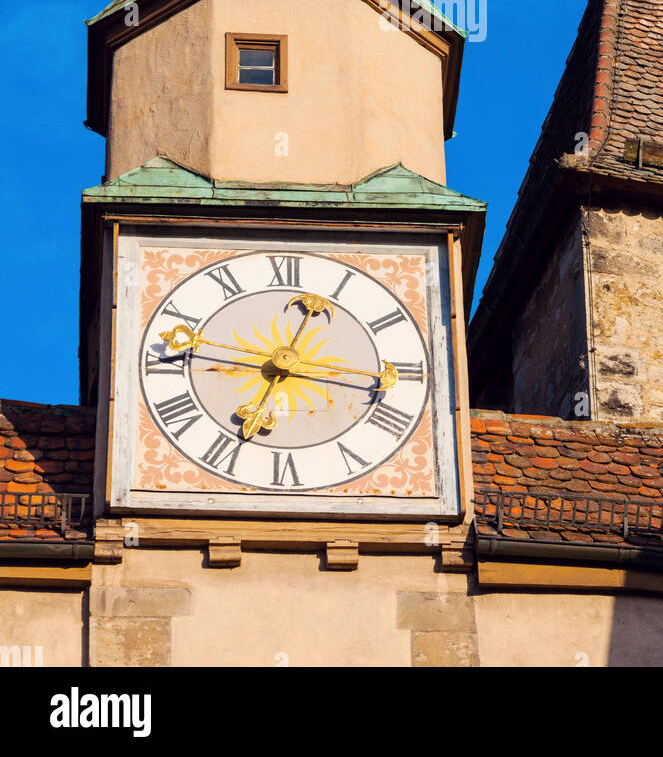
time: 12:46
